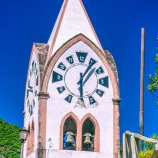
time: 6:06
